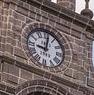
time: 9:01
